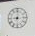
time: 9:01
